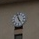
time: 4:57
